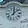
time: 12:07
